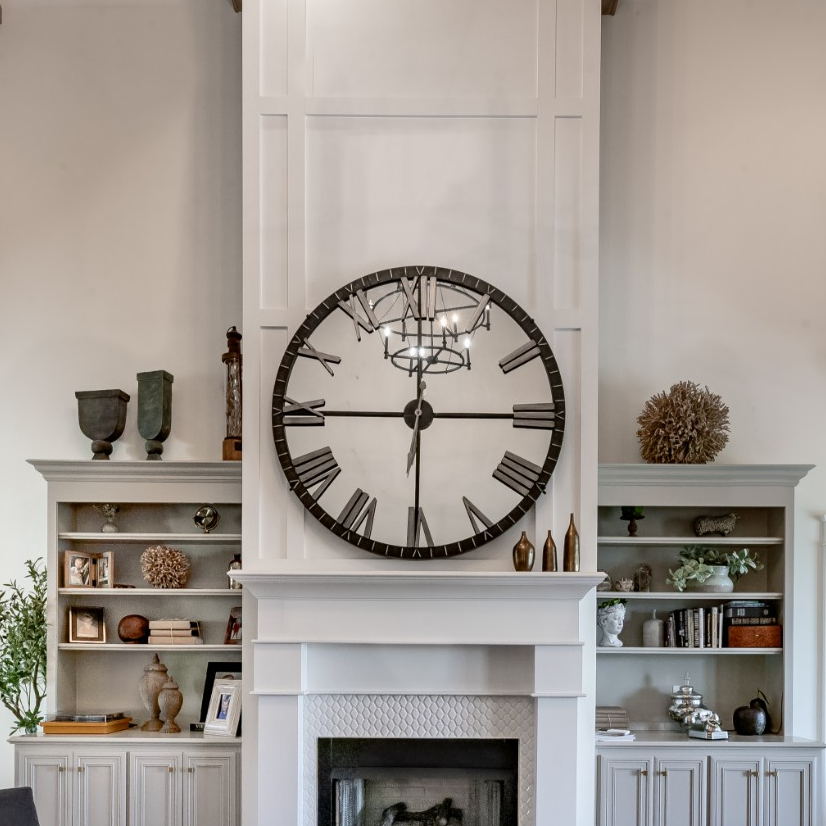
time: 12:14
